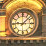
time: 9:07
